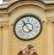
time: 4:54
